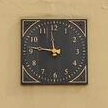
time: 11:46
